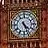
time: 4:26
